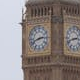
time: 2:42
